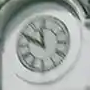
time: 11:49
